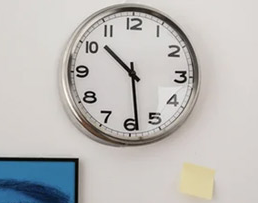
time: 10:28
